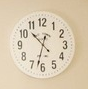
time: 10:32
